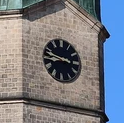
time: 8:47
